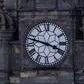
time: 3:47
